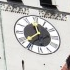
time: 11:37
